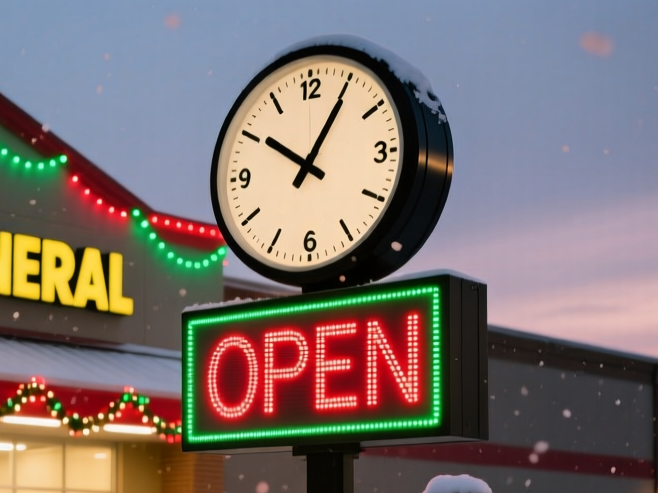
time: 10:05
